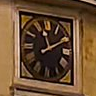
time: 11:10
